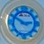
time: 2:50
